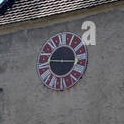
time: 9:15
